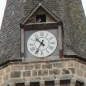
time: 10:35
